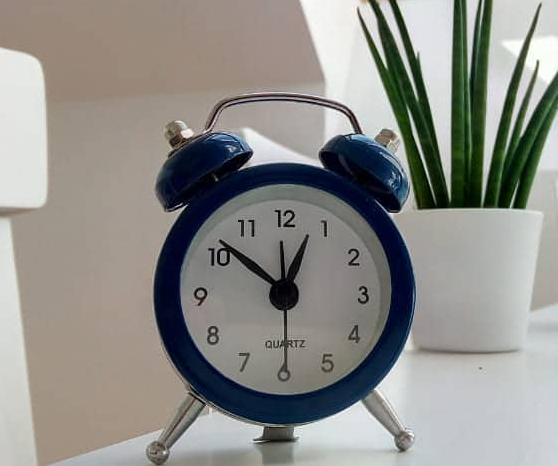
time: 12:51
